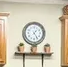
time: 1:24
